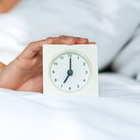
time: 7:00
